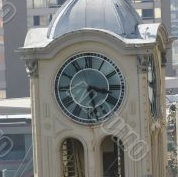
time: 3:27
